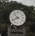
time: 10:41
